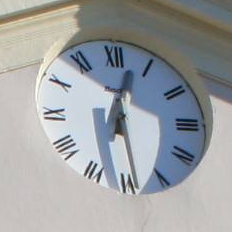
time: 12:28
